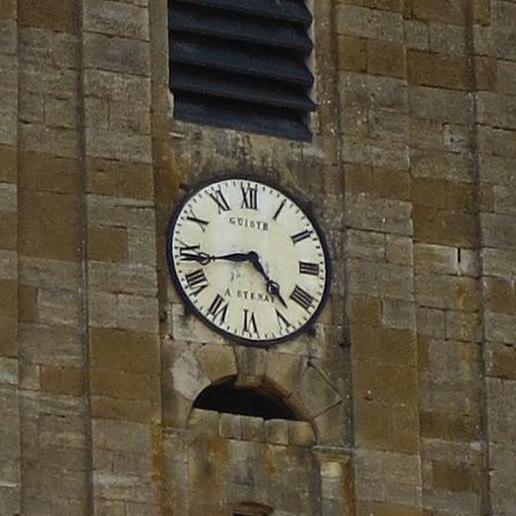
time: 4:43
